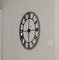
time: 6:14
